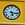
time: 5:16
